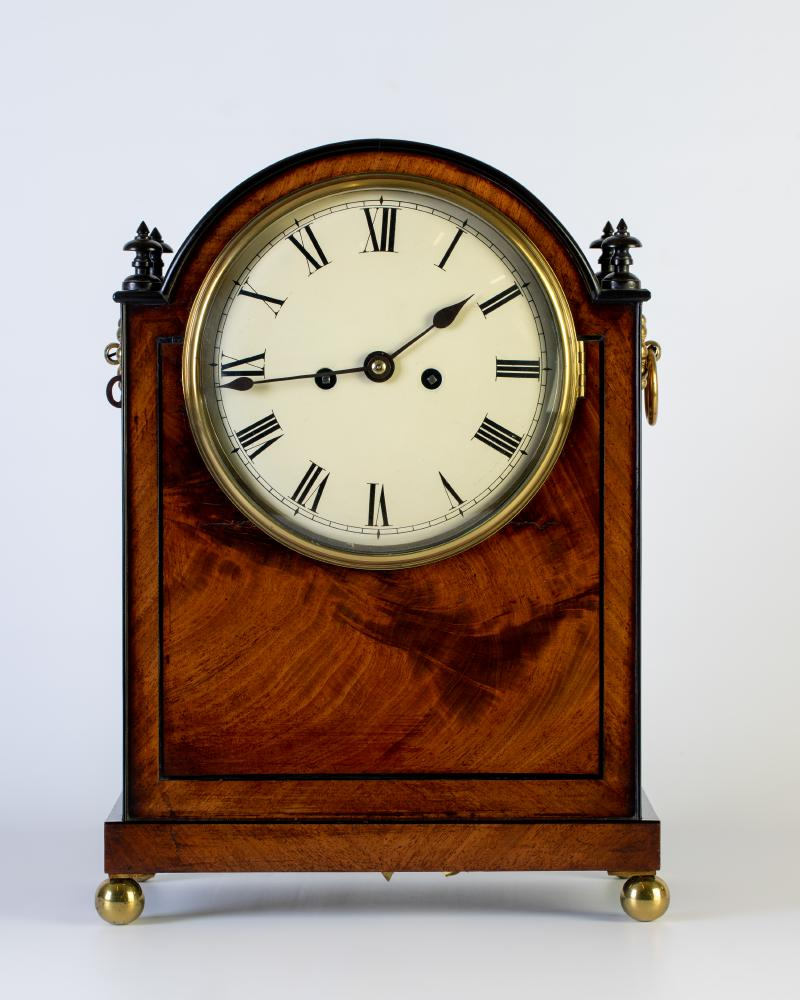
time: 1:43
